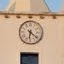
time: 6:21
